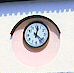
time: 12:22
